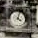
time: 4:02
